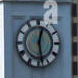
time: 12:28
